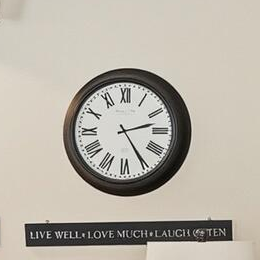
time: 2:24
